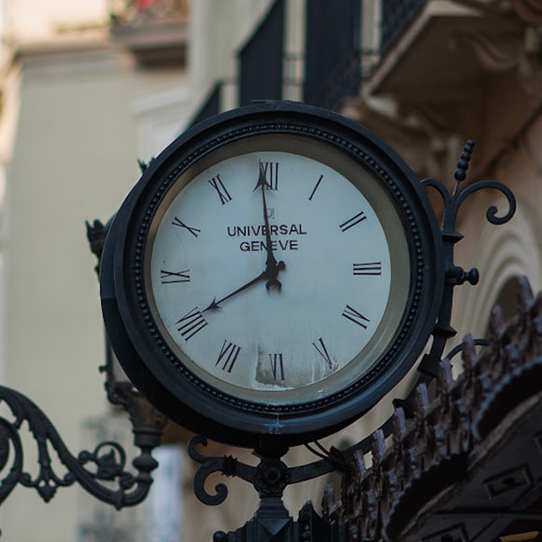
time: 7:59
